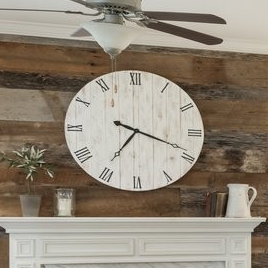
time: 7:18
